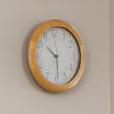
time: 10:29
